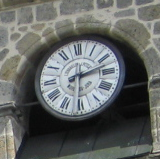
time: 2:30
